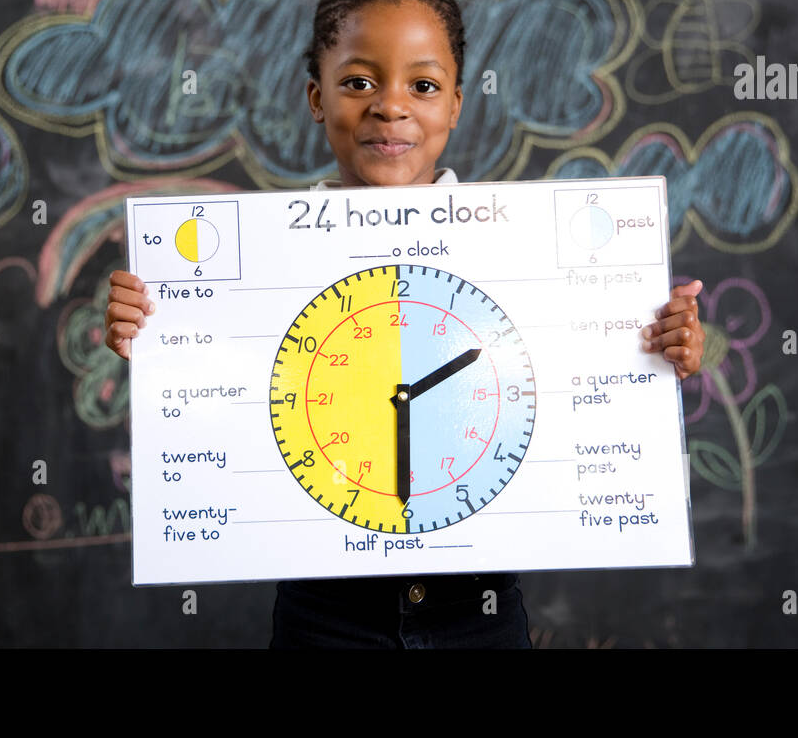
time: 6:10
